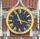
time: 11:17
